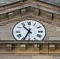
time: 10:34
